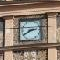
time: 2:40
